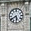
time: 5:40
